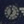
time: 11:35
